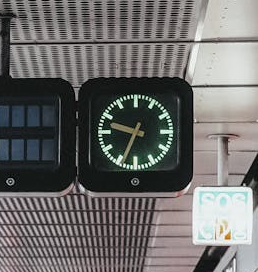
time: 9:34
